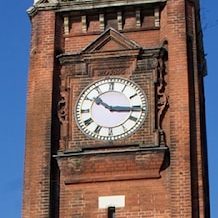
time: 10:15
